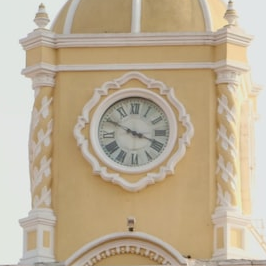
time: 3:49
